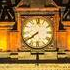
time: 7:39
